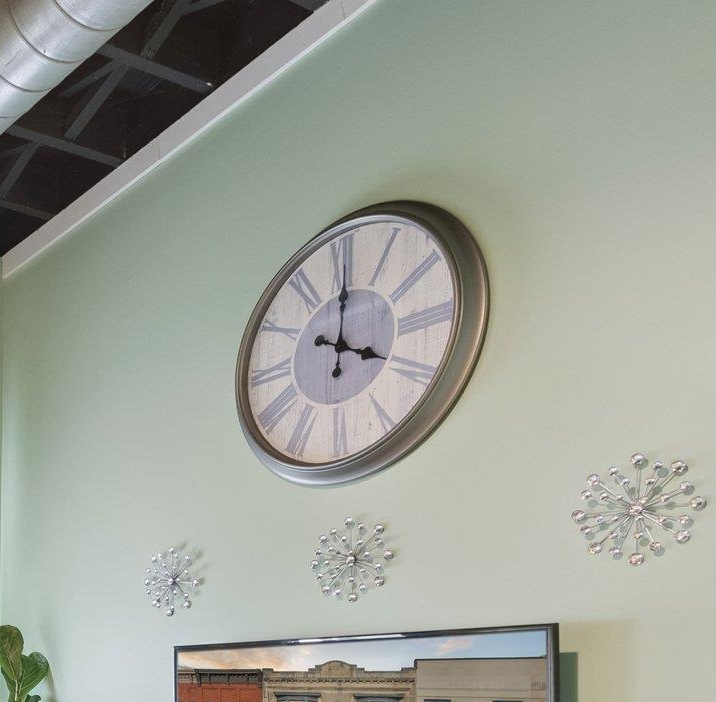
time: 4:00
